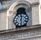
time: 12:28
